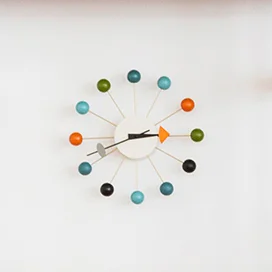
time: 2:41
